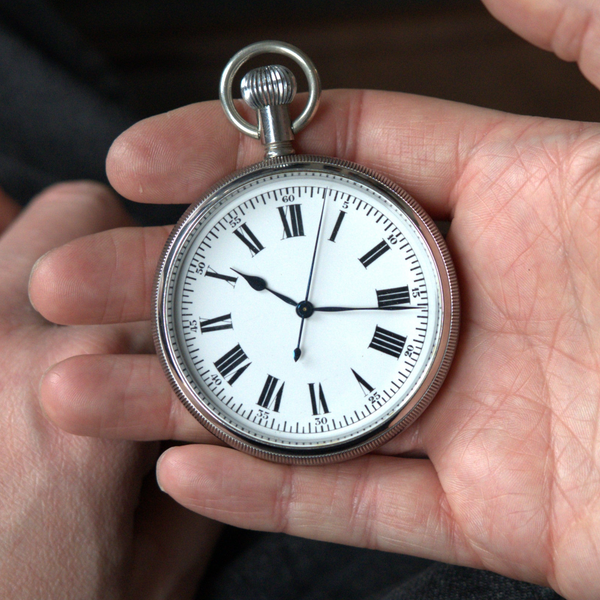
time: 10:16
